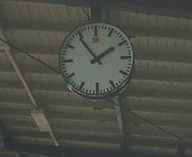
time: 1:54
